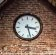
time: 3:27
